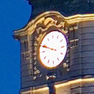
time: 9:48
